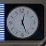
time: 12:26
